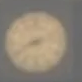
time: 8:12
